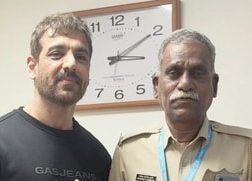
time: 3:09
